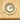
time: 7:12
